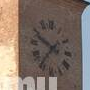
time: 9:36
